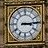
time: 3:14
